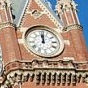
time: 12:01
